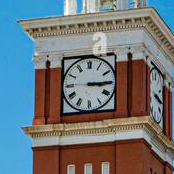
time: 3:14
